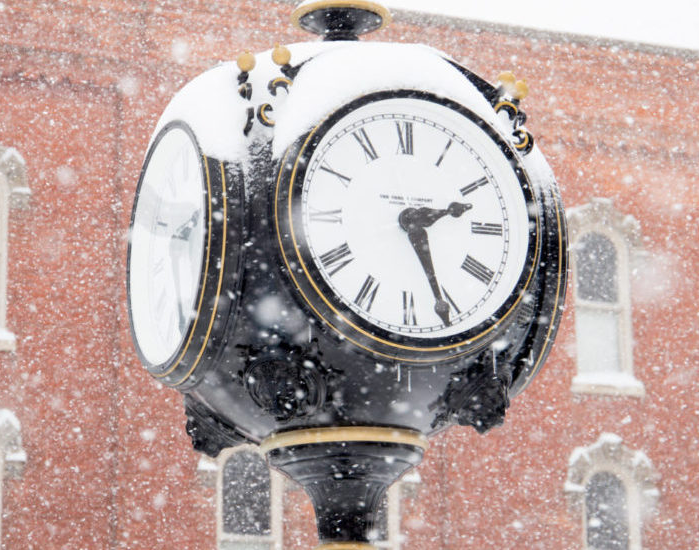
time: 2:25
